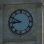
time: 8:49
